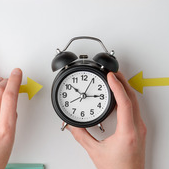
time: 2:50
